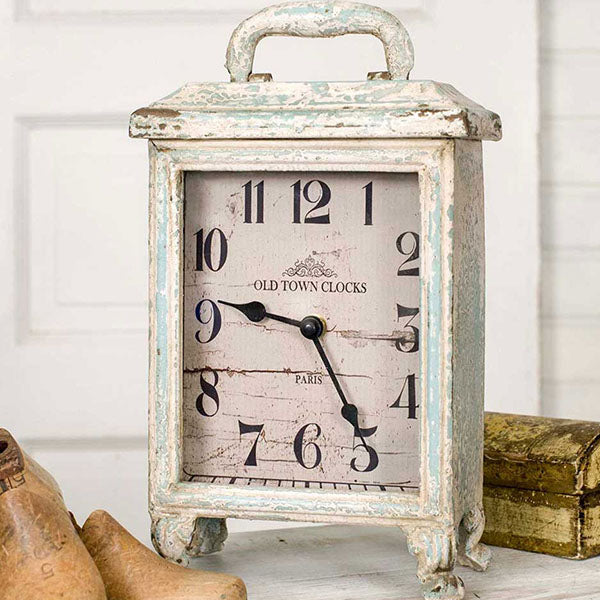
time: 9:24
